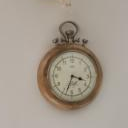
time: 3:33
